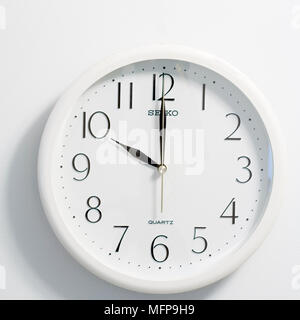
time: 9:59
